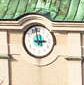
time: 2:58
